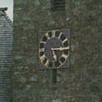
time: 5:14
